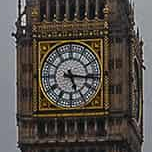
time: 5:16
